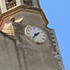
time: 1:36
